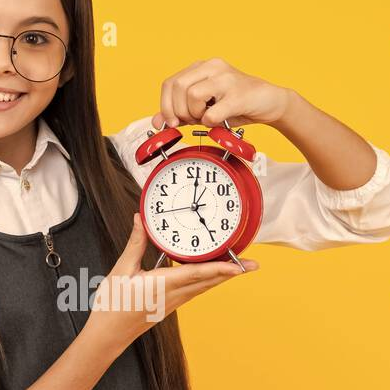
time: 5:01
